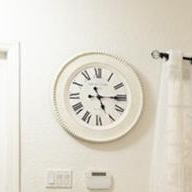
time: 5:15
